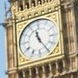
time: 11:24
